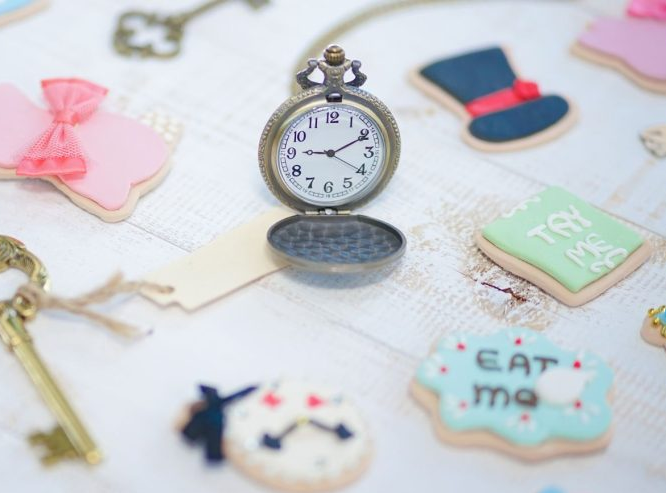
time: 9:10
